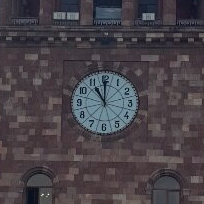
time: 11:00
